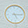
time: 5:15
